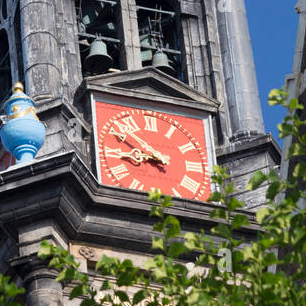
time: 8:52
